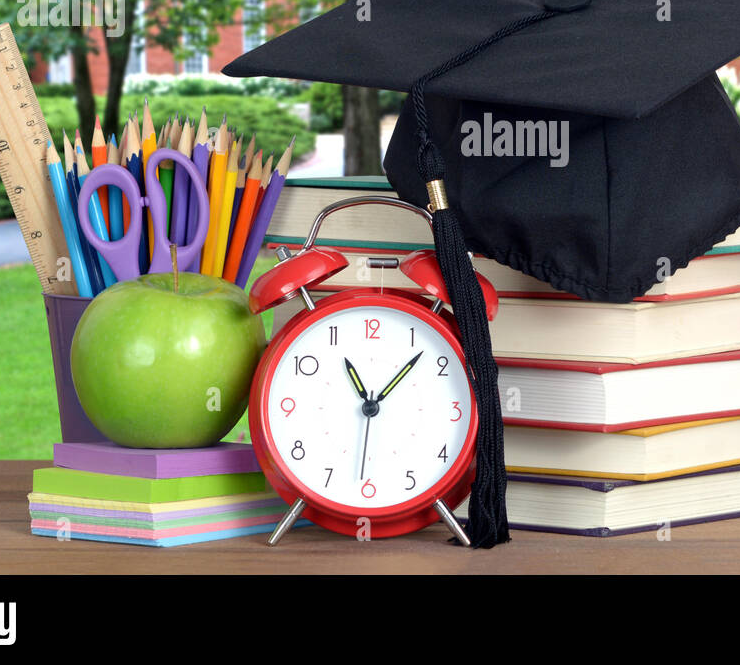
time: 11:07
